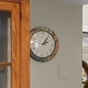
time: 2:06
